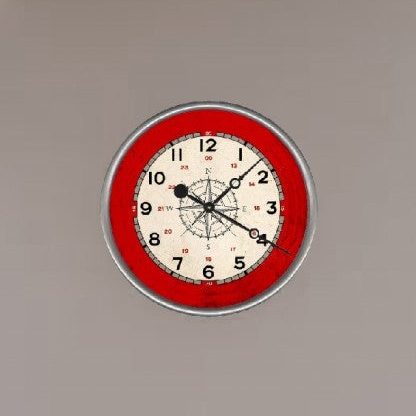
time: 10:07
